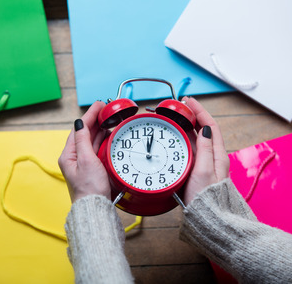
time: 12:01
